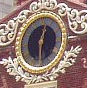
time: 12:29
